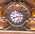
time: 8:14
